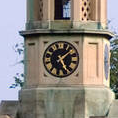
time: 1:24
